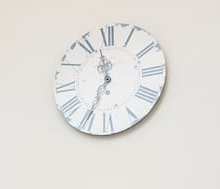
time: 11:34
